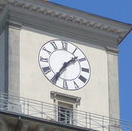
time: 1:35
